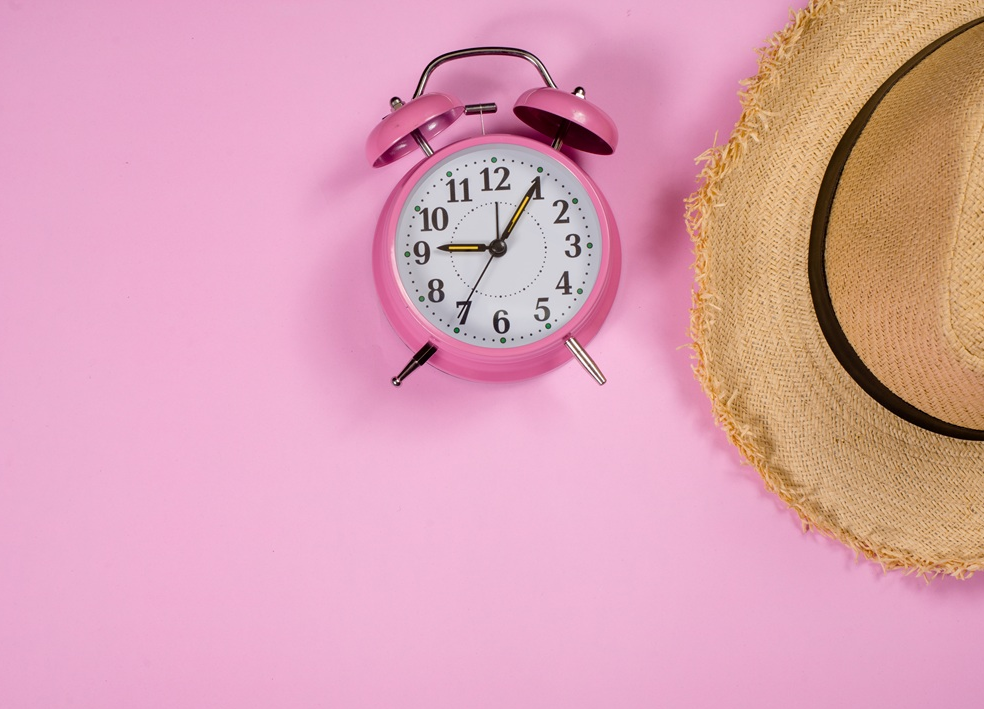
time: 9:05
